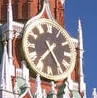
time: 7:24
